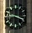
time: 12:18
